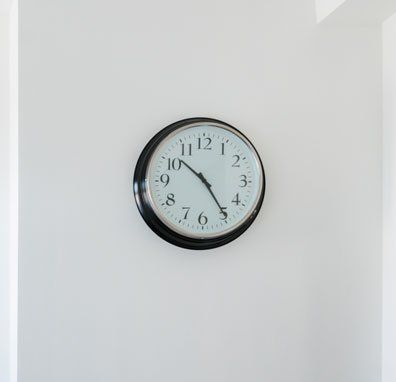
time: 10:24
